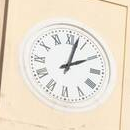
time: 2:02
